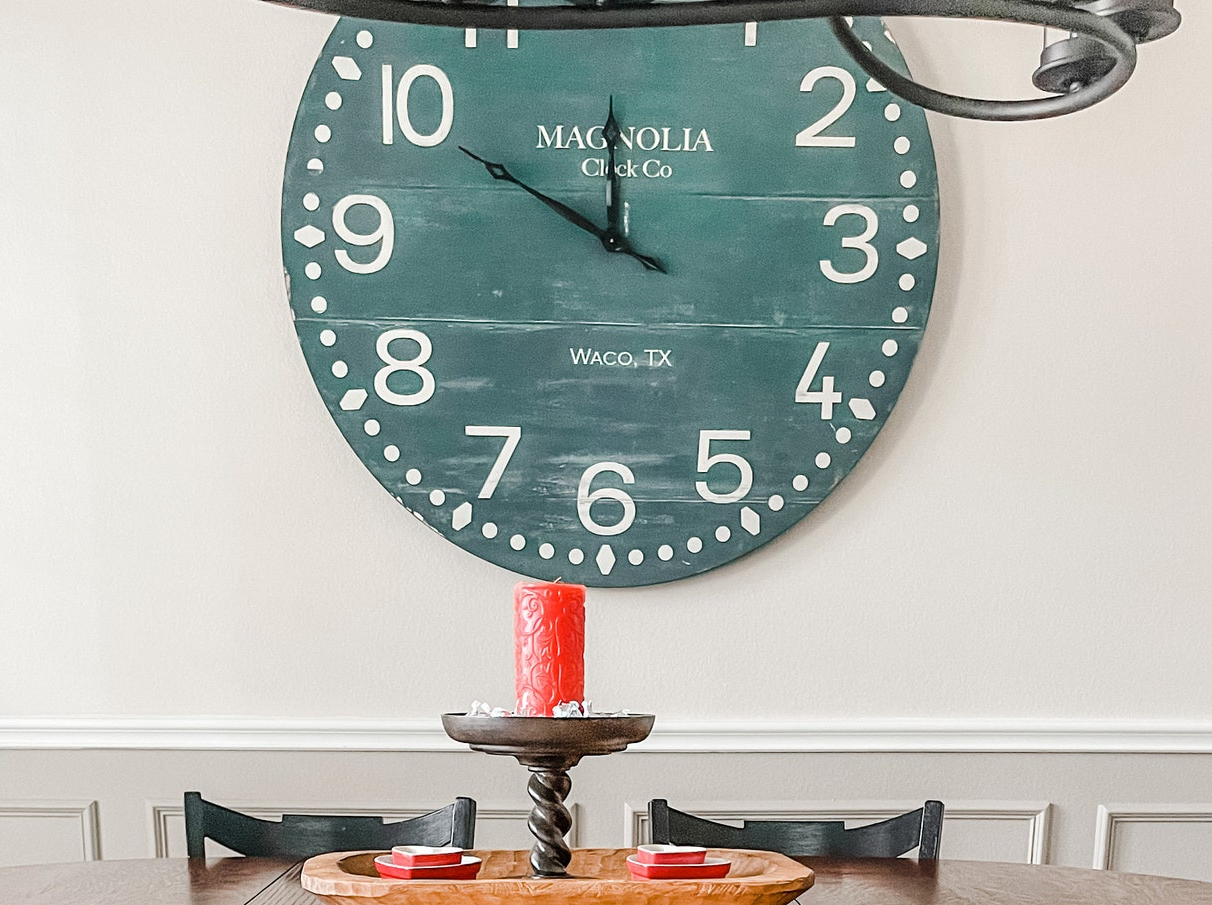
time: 11:49
